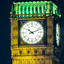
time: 10:11
